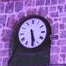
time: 5:29
